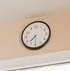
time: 7:30
